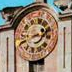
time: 1:41
